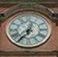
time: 12:36
